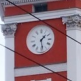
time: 1:28
